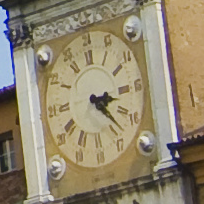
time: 3:22
